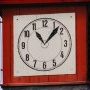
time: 11:07
